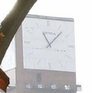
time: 11:07
